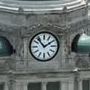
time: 1:53
